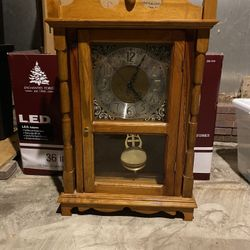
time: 4:04
